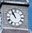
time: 10:55
